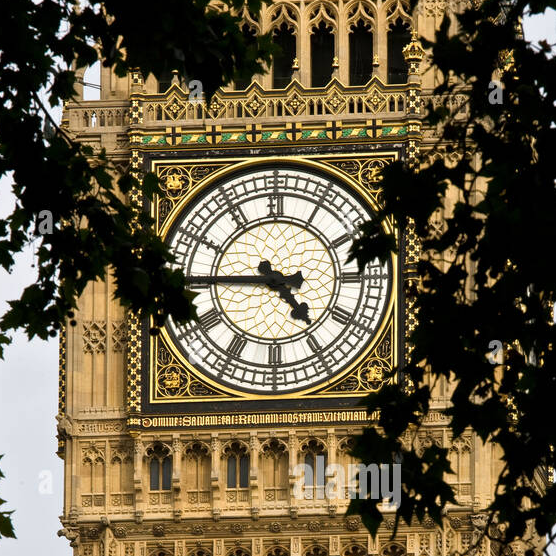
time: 4:44
